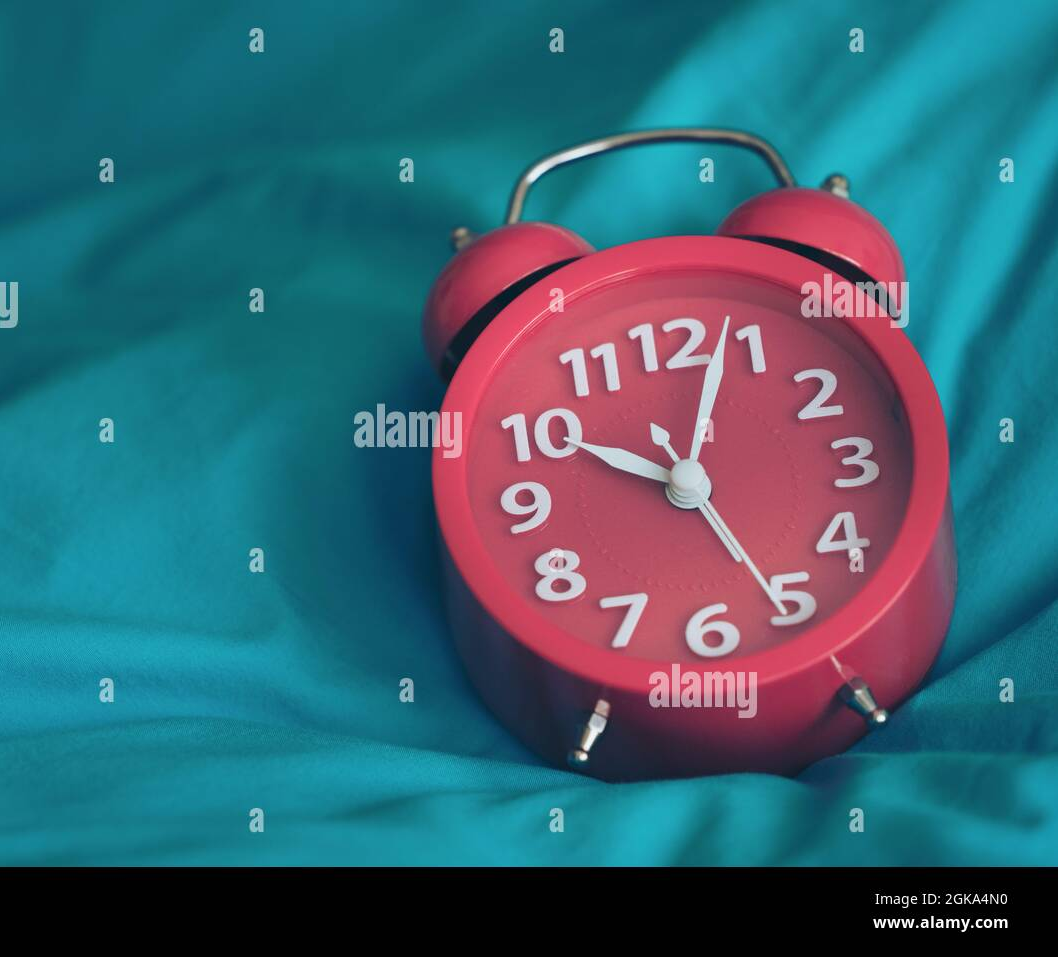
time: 10:03
